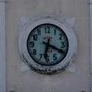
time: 6:19
